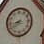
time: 8:39
